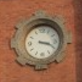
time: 3:19
